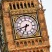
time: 6:41
